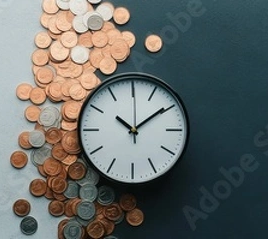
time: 10:09
